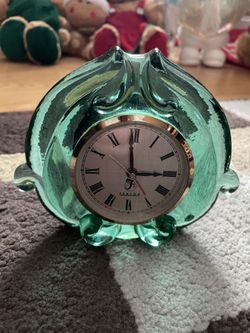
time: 2:59
